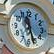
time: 11:26
